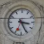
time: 3:25
